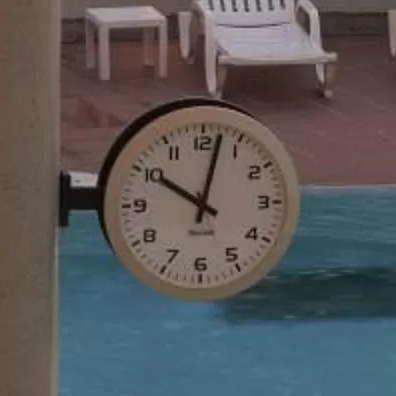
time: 10:02
